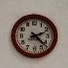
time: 2:22
